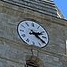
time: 2:21
